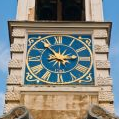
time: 2:54
